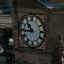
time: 10:44
